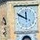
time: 11:49
